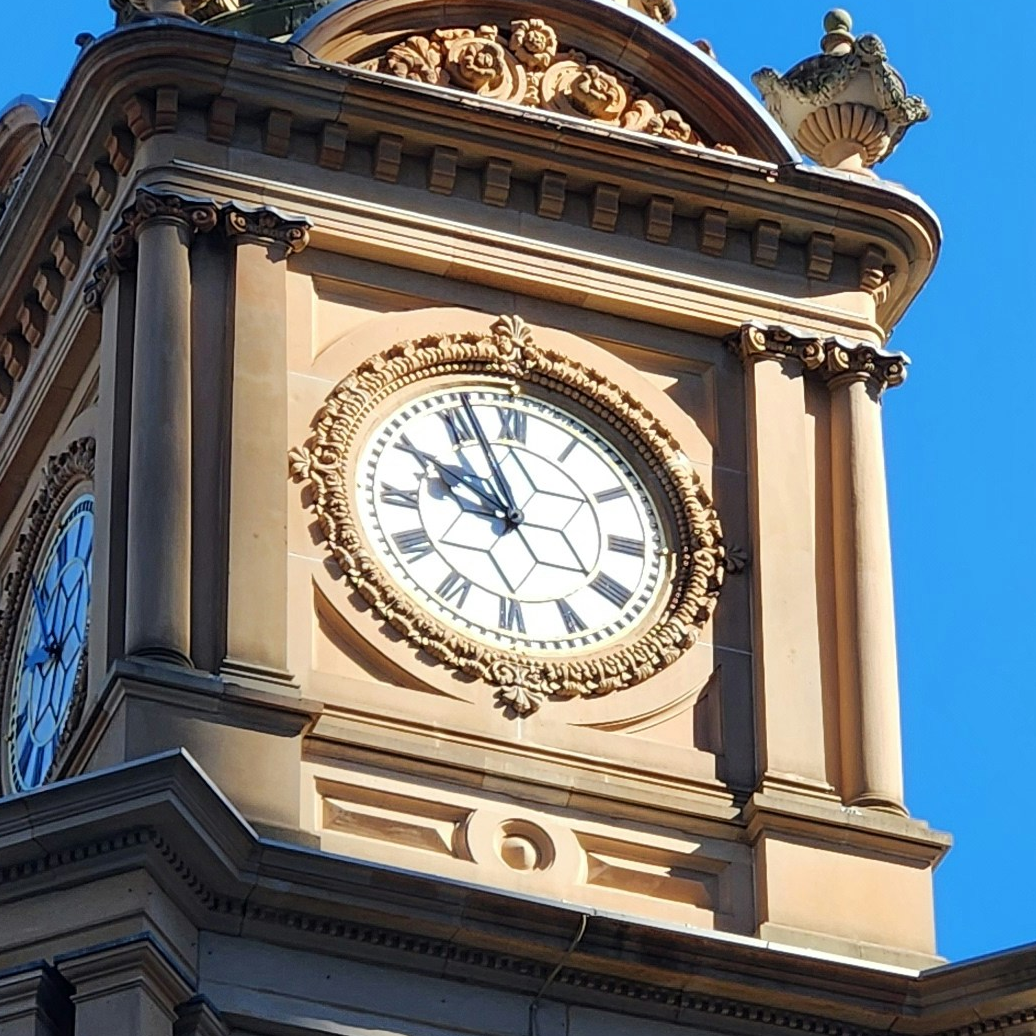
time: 9:56
